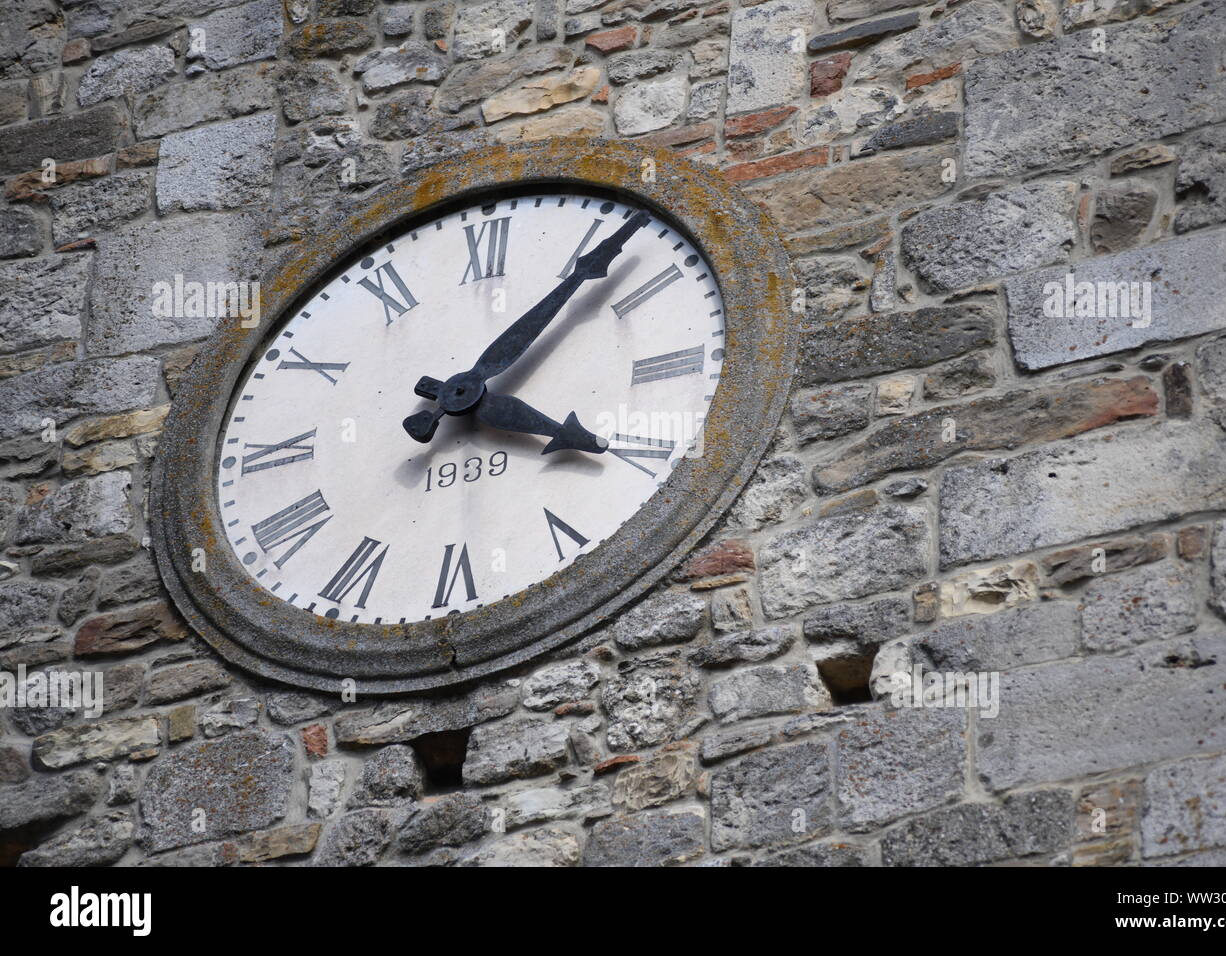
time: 4:07
